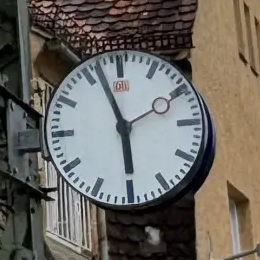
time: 5:57
